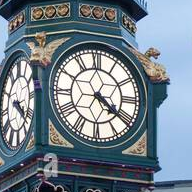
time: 4:21
